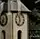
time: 11:32
